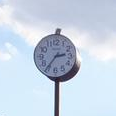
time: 2:36
